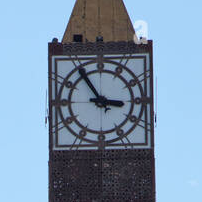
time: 2:54
